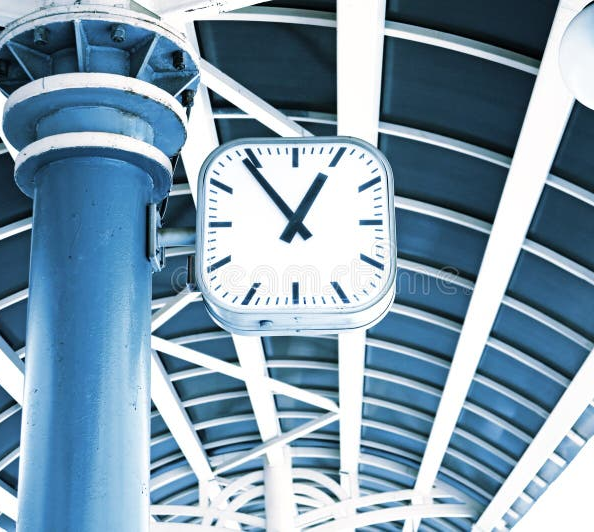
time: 12:54
